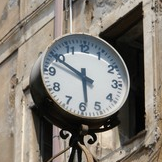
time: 5:49
